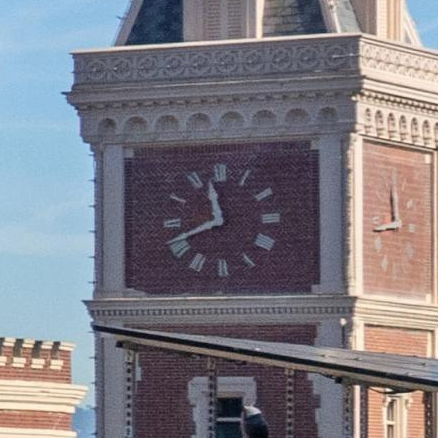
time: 11:41
